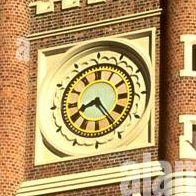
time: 8:24
